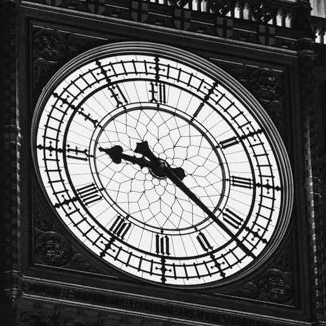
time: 9:21
